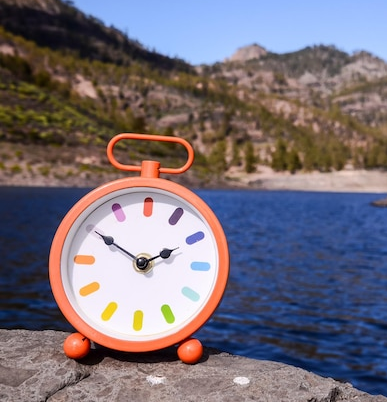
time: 1:50
